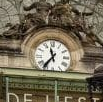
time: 11:36
